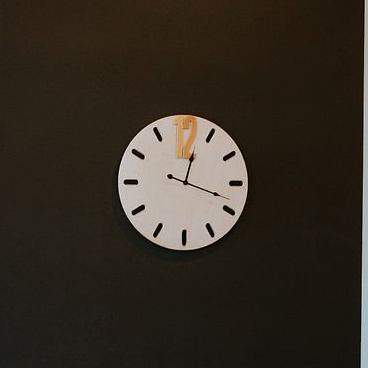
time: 12:18
